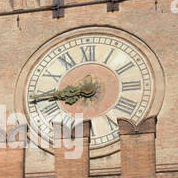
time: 8:44
